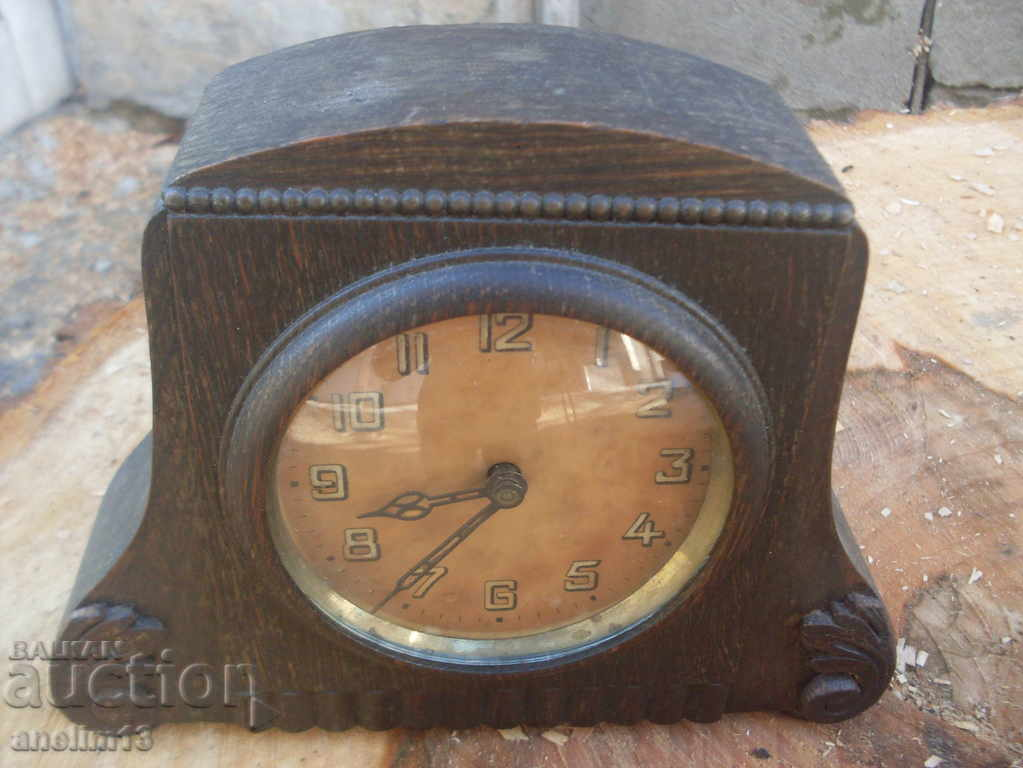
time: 8:36
